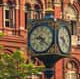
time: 9:22
